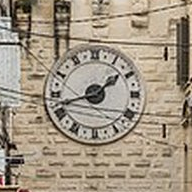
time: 1:42
